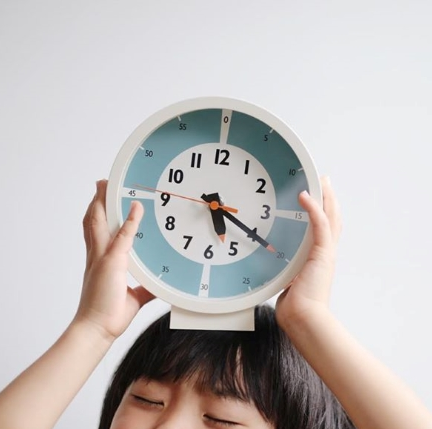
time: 5:19
